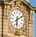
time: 6:10
